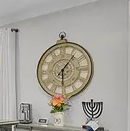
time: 6:06
